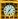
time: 7:07
